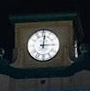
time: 12:14
